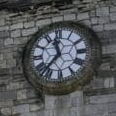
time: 11:36
